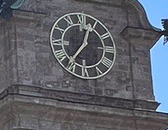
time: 12:36
